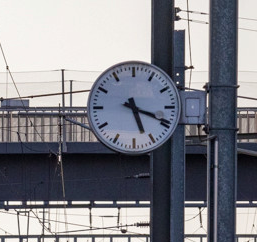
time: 5:18
